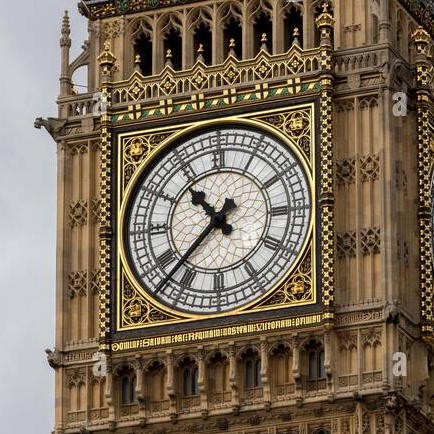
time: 10:37
